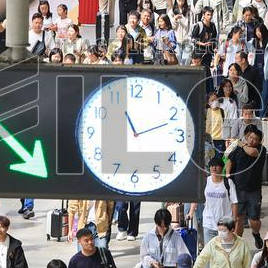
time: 11:11
